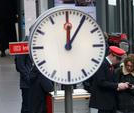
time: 12:05
